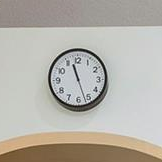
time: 11:26
